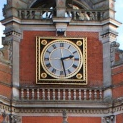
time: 2:28
